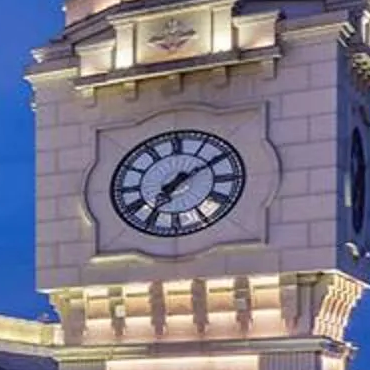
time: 7:09
